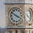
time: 3:50
